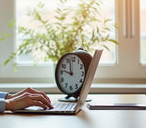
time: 11:46
